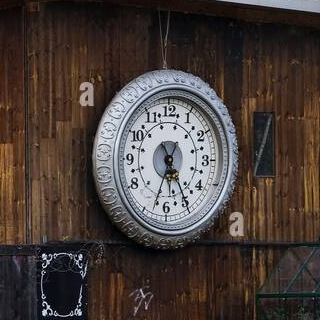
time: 6:25
